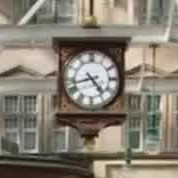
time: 4:42
